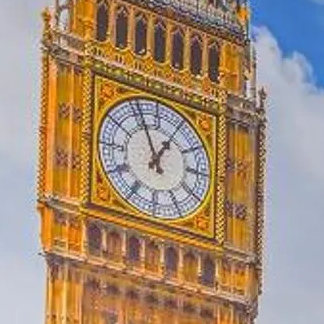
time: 12:56
